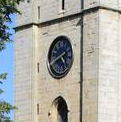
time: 4:40
